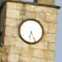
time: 6:25
